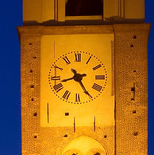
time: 8:25
